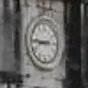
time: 8:45
